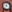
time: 4:02
